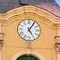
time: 5:05
